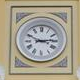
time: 2:49
